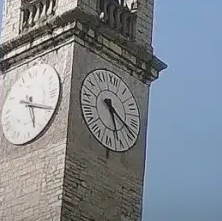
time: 5:18
